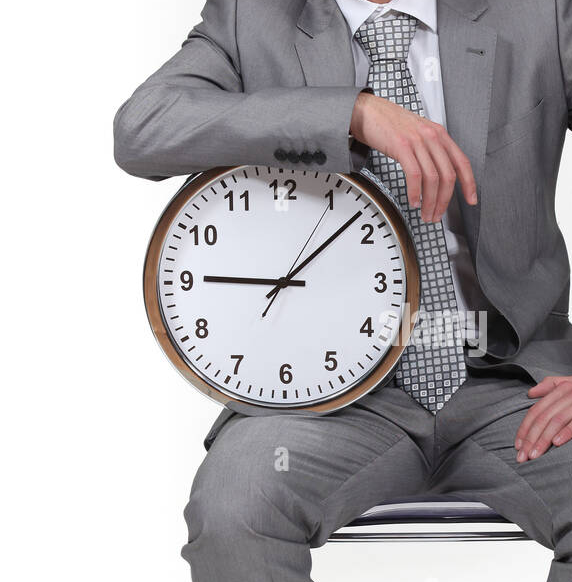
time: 9:08
